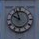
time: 9:57
